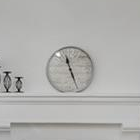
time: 11:26
